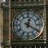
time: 12:20
